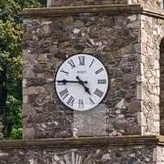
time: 4:45
